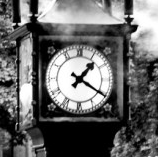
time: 1:20
